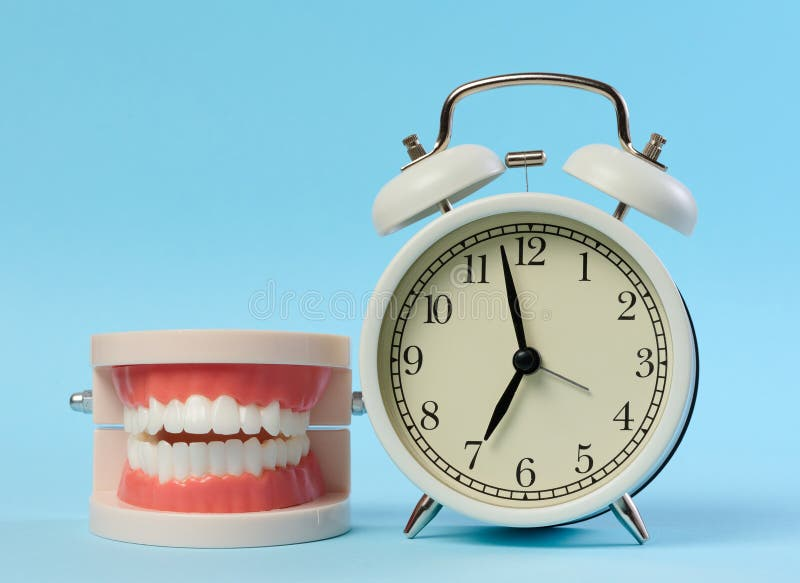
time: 6:57
